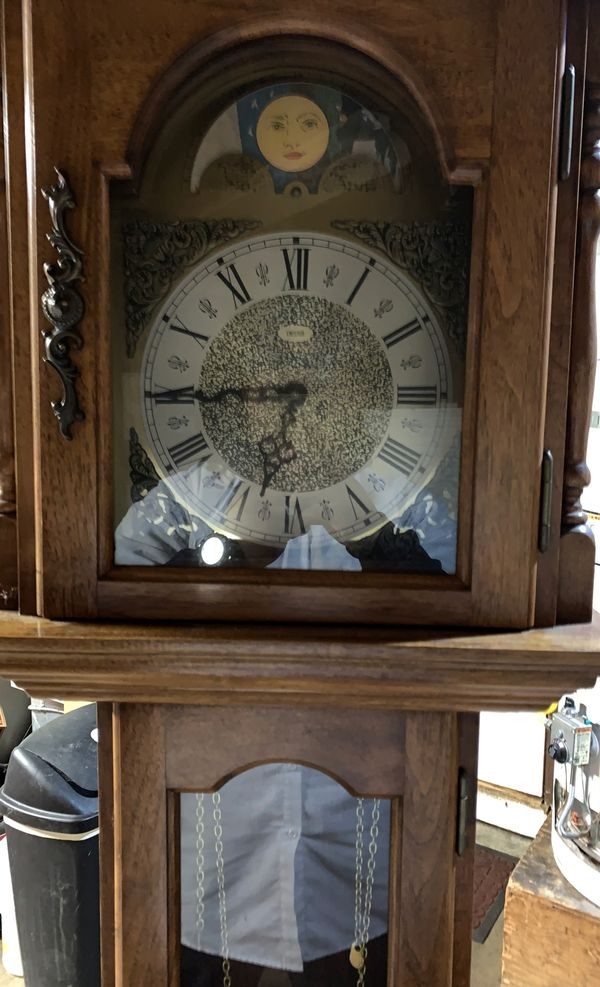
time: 6:44
